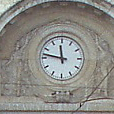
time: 11:46
